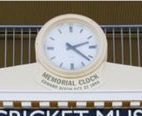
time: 2:21
